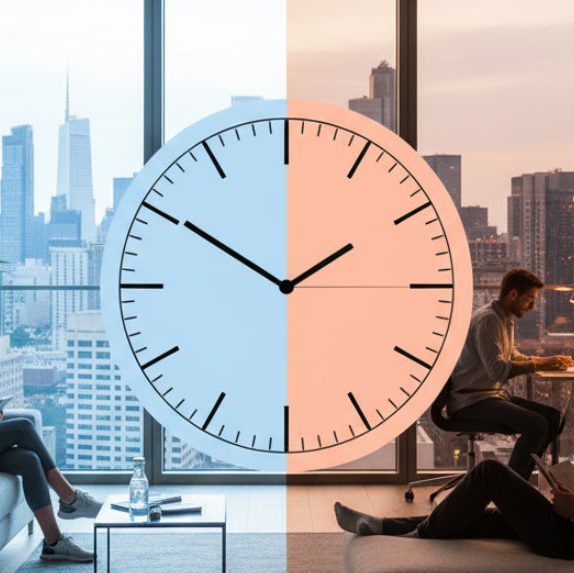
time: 1:50
